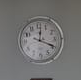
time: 12:19
